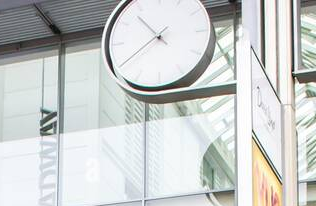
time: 10:39
